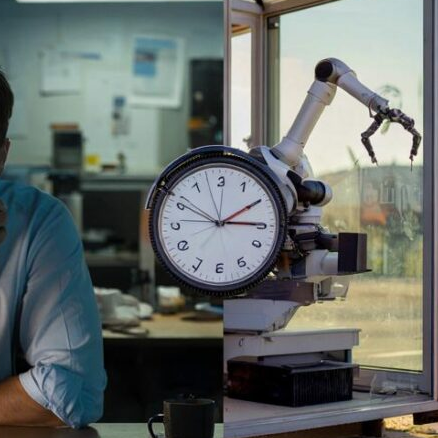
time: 3:09
